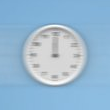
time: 12:00
